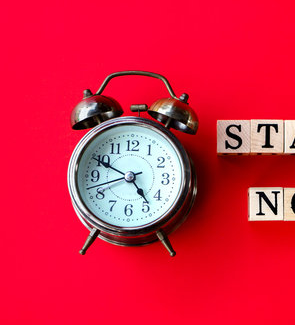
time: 4:49
